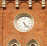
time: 5:22
